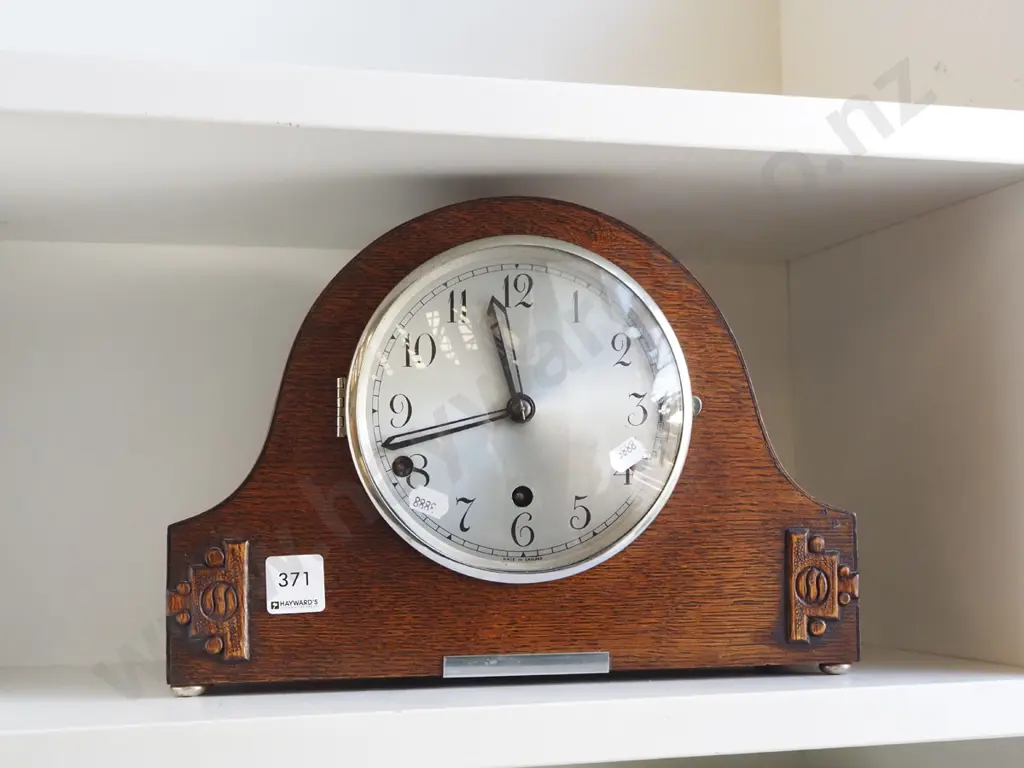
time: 11:42
